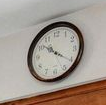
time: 10:20
